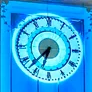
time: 6:37
